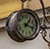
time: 1:18
